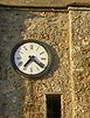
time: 7:21
